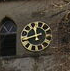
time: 11:41
